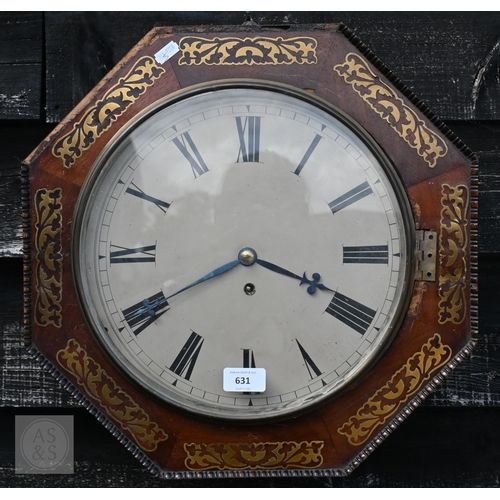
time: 3:40
